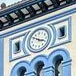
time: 3:51
